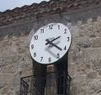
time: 2:21
